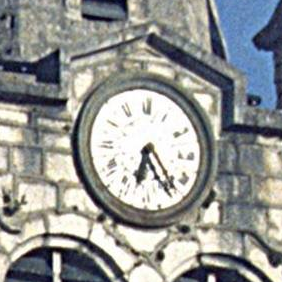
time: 6:24
